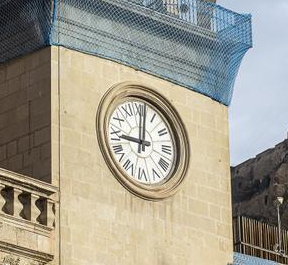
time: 9:01
